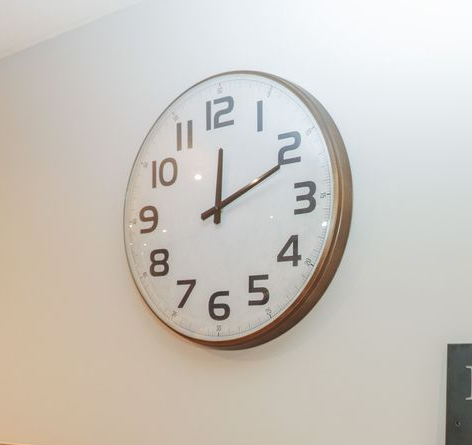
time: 12:11
